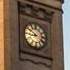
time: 8:50
